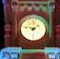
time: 1:46
